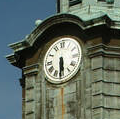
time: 5:30
